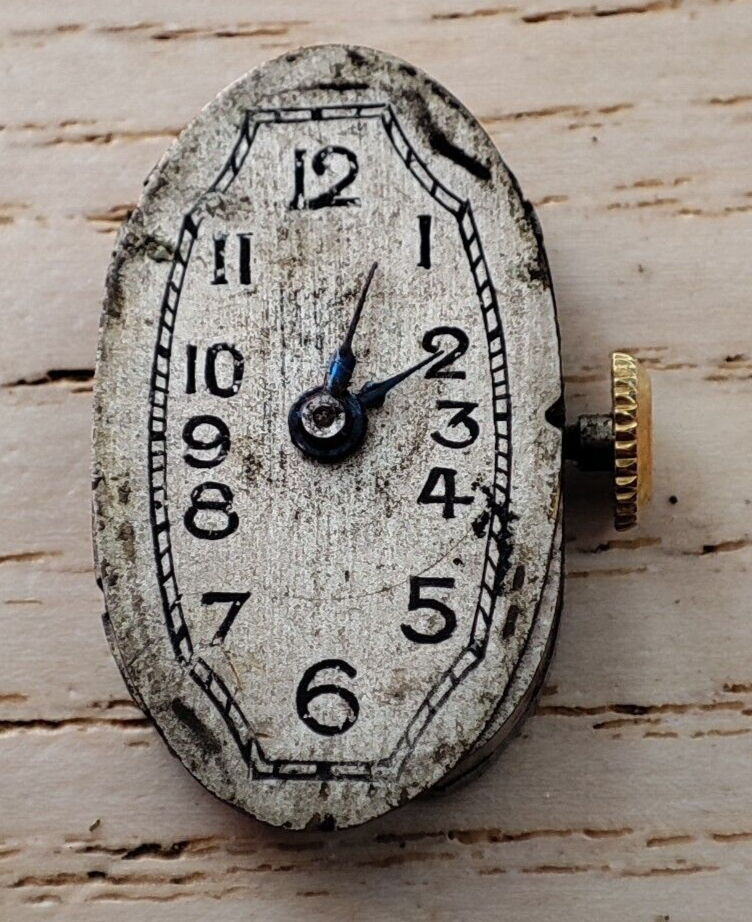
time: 1:11
